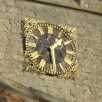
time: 1:28
